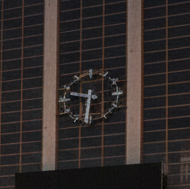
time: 9:31
